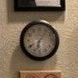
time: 6:06
